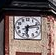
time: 6:13
